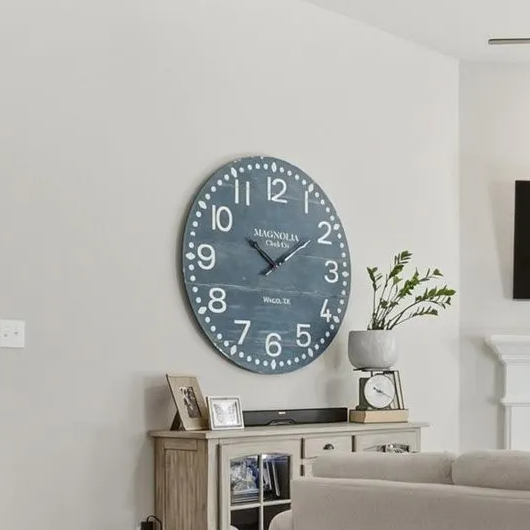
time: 10:09
